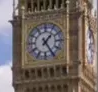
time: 1:24
